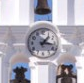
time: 1:16
